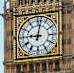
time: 9:01
